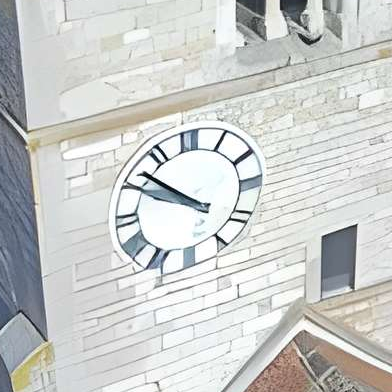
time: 9:51
